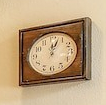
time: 12:03
